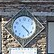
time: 4:22
